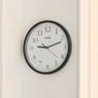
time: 9:12
